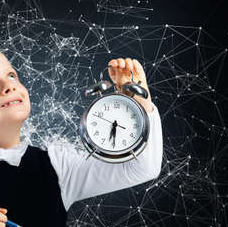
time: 6:29
